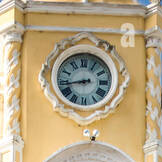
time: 8:43
